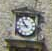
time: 10:43
